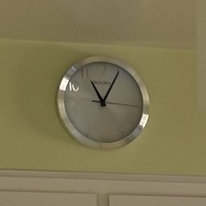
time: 11:04
